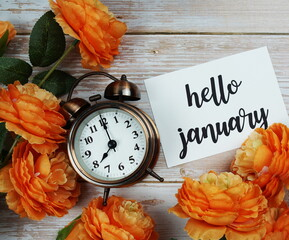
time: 7:00
